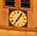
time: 7:06
